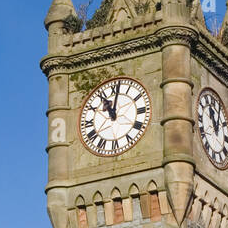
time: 11:01
